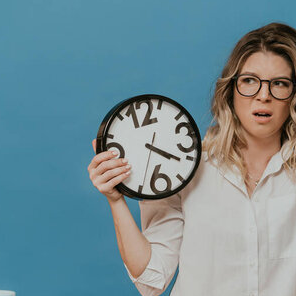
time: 4:20
